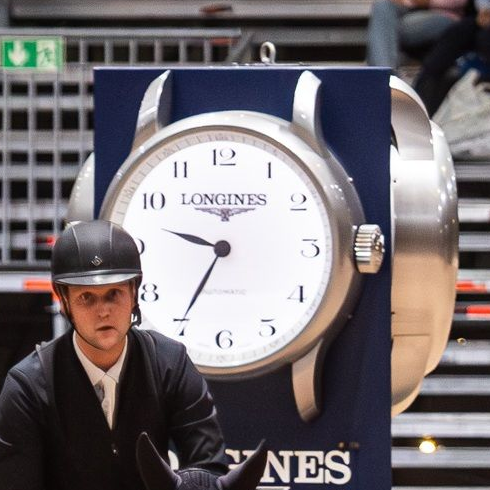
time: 9:34
